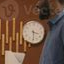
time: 3:29
